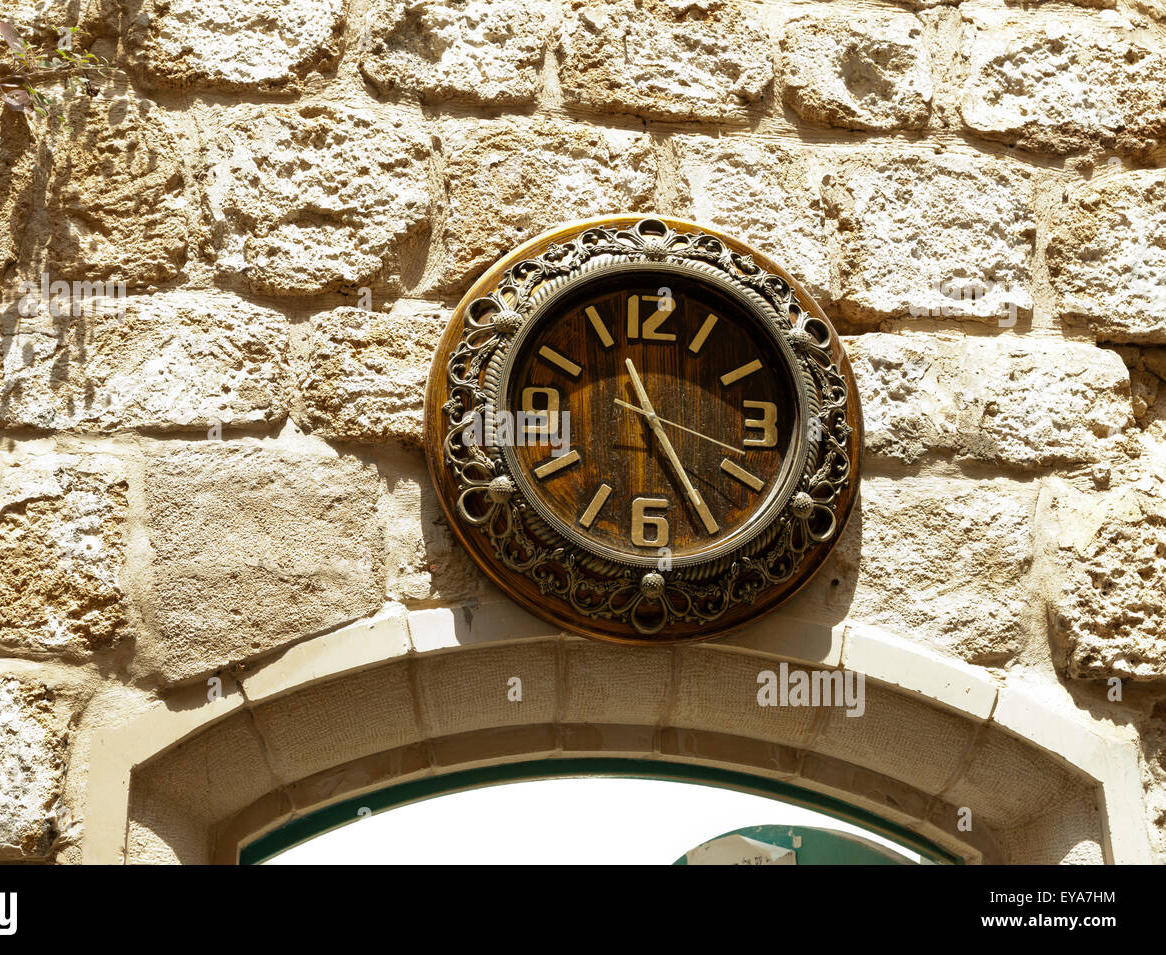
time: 11:25
